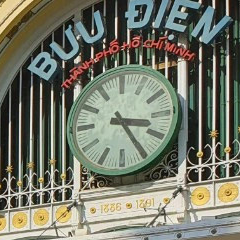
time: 3:24
